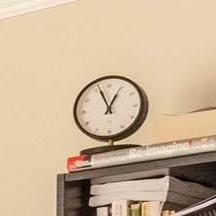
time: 12:56
